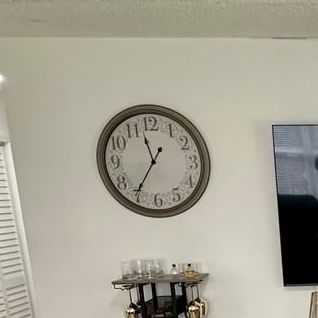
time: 11:35
